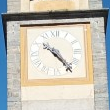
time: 10:23
